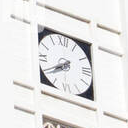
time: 7:40
